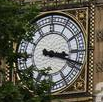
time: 3:18
